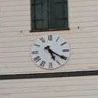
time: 5:20
